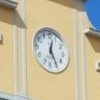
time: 12:24
